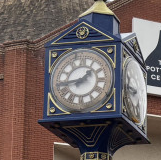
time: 1:43
